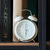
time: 5:59
